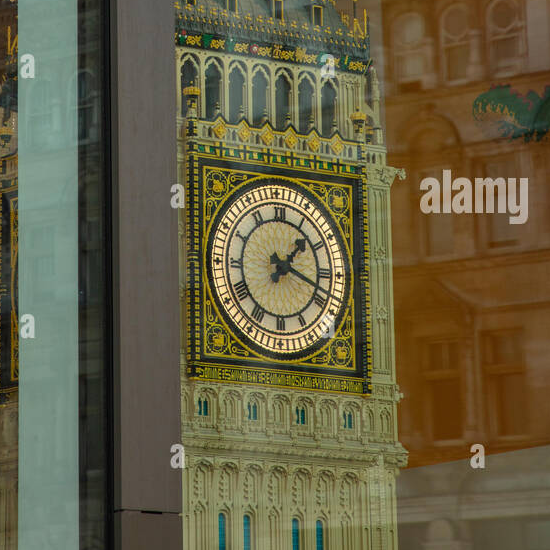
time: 1:18
